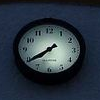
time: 7:39
